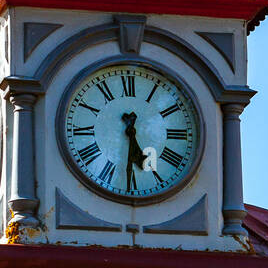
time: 5:30
